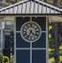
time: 4:34
